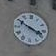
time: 3:50
